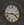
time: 3:43
